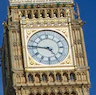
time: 4:46
